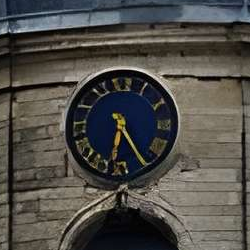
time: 6:24
